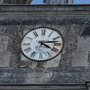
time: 4:13
